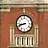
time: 8:42
